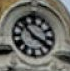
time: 3:52
